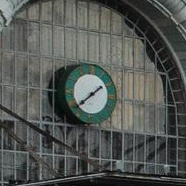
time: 1:38
